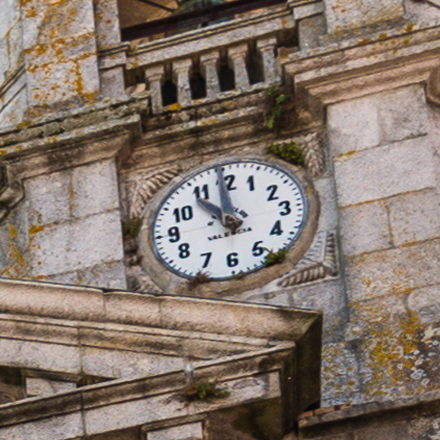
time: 10:59
